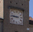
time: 8:46
